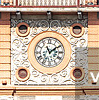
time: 11:09
